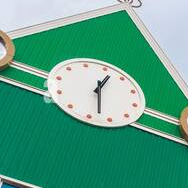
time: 1:32
